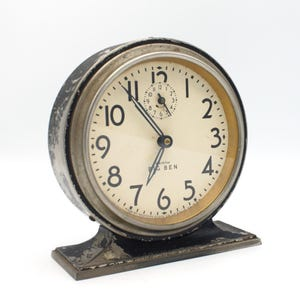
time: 6:53
